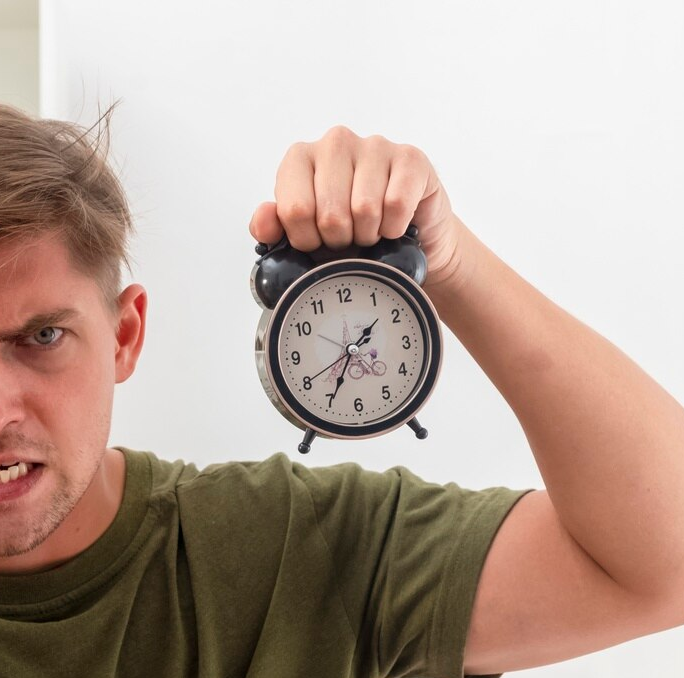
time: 1:34
